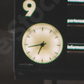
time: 6:43
